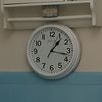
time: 1:17
